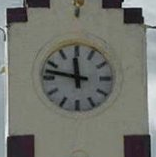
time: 11:46
